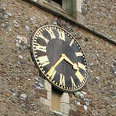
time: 3:36
